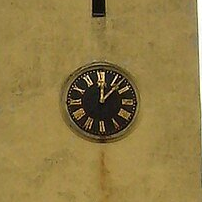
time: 12:07
